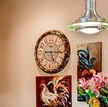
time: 5:14
